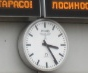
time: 3:24
